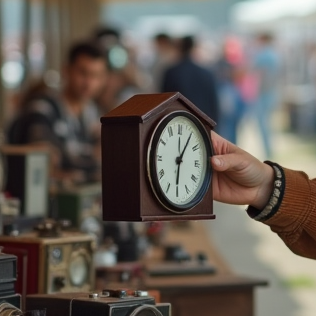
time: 6:06
